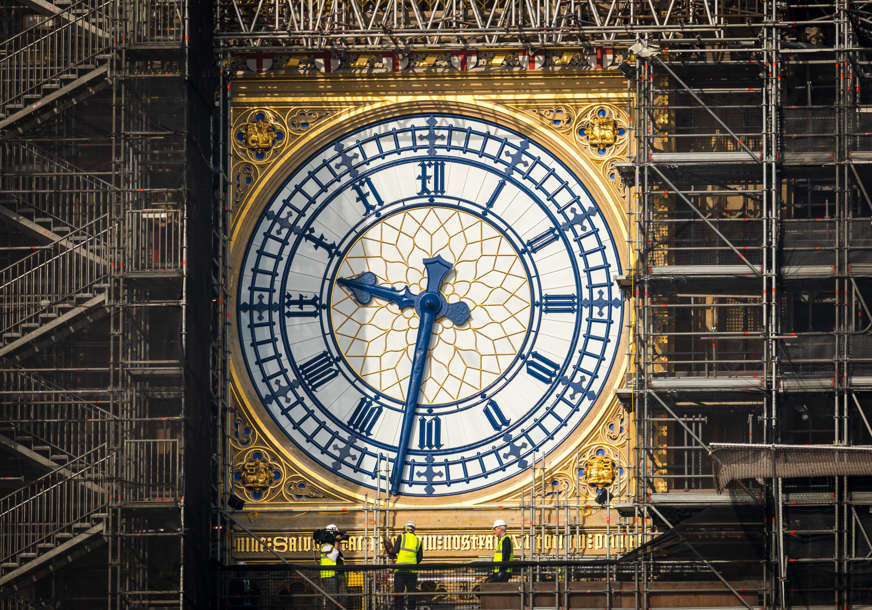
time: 9:31
